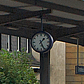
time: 1:25
